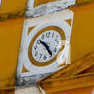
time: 10:24
